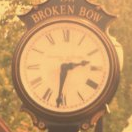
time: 2:31
